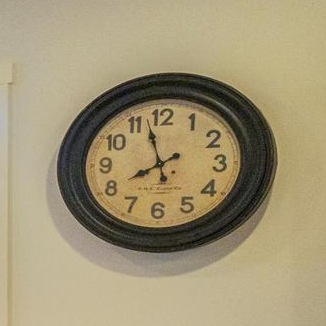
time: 7:57
